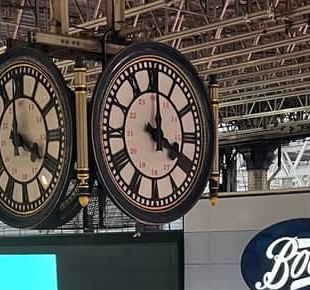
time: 4:00
